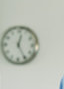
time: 12:25
